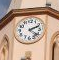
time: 2:21
